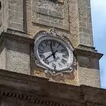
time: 11:37
